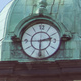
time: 2:29
